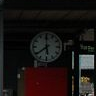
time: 5:38
